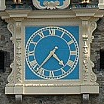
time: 4:36
